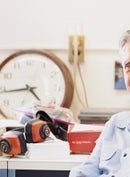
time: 4:44
